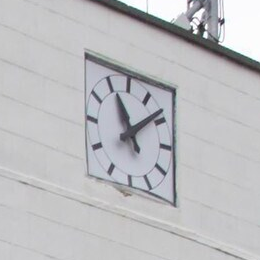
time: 11:08
